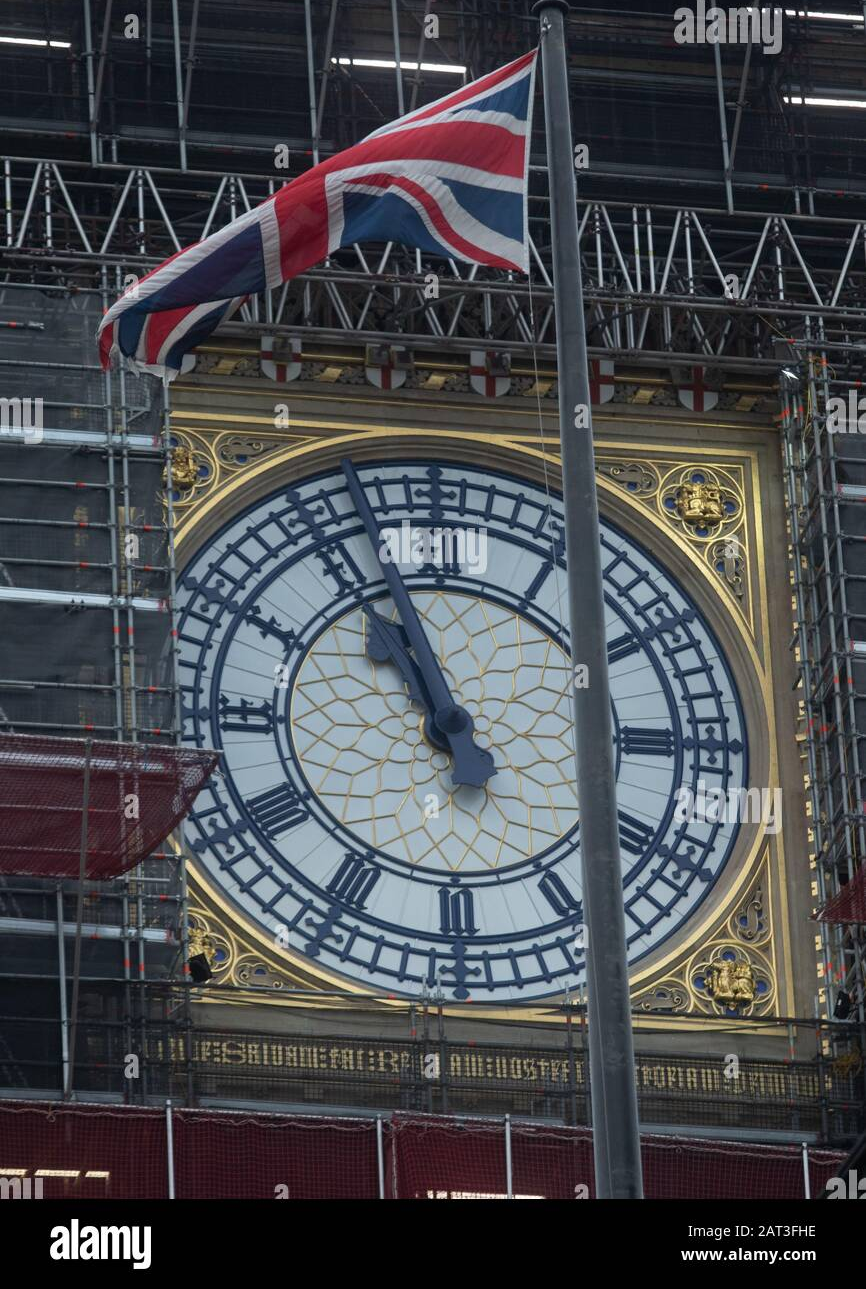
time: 10:56
